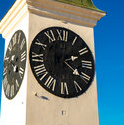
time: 2:21
